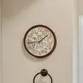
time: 1:43
